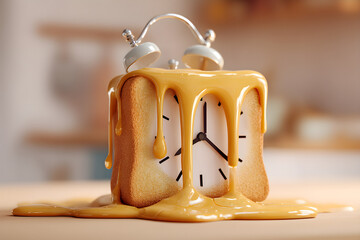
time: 12:21
